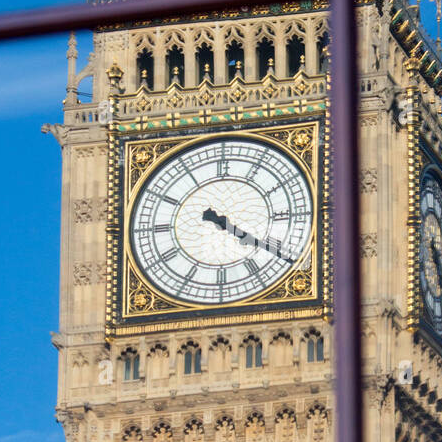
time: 4:20
